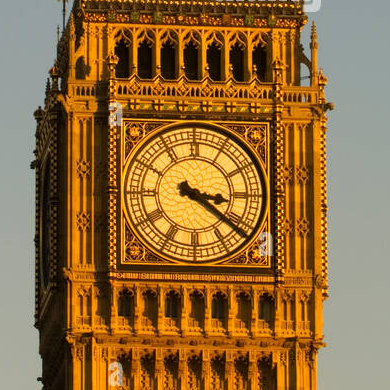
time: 3:21
